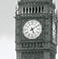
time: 5:09
